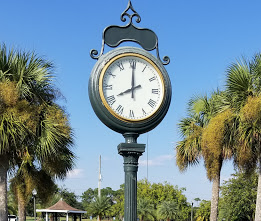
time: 8:00
